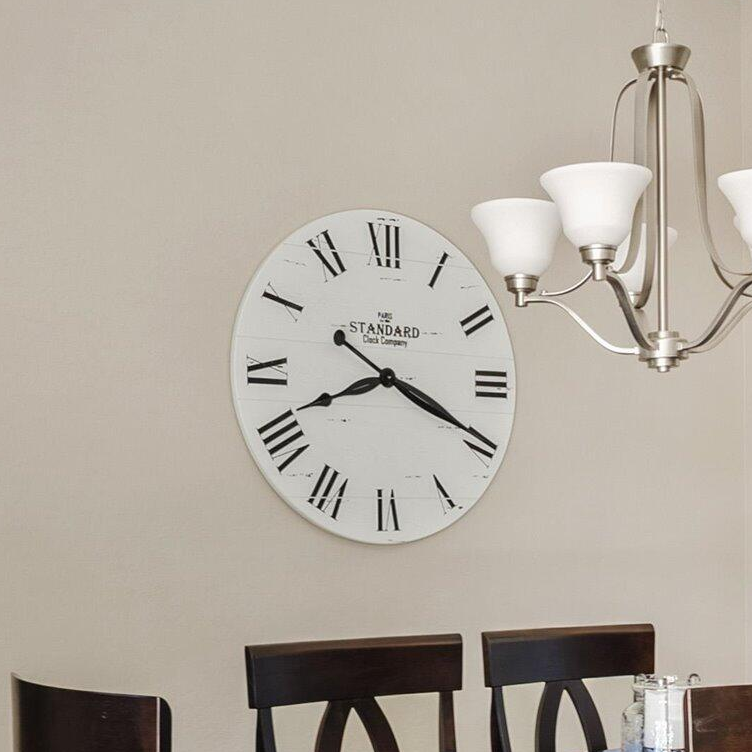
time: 8:19
